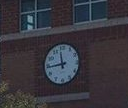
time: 11:44
